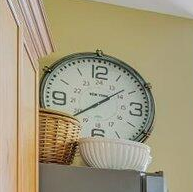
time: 1:39
